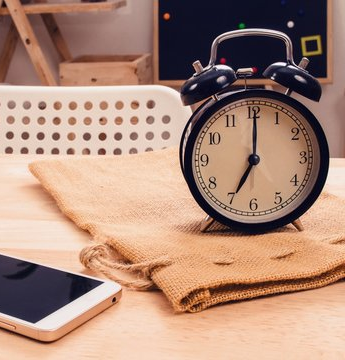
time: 7:00
